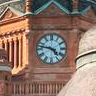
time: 4:47
